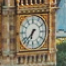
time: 6:37
